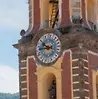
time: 9:43
